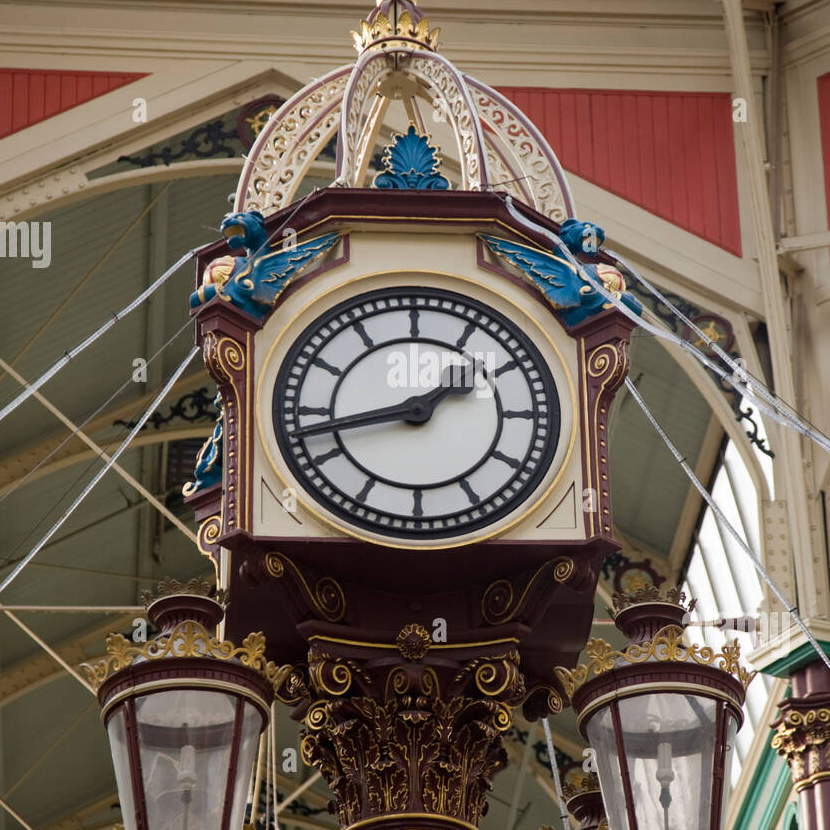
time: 1:42
